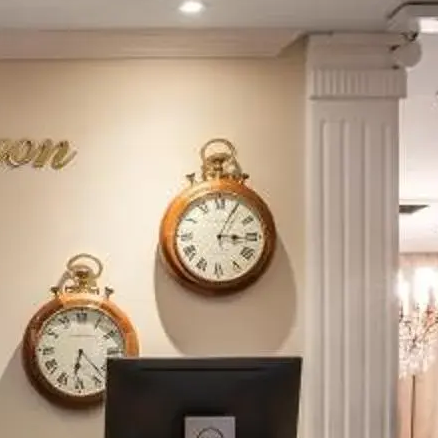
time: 3:04
